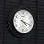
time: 4:18
